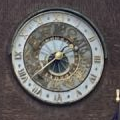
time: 7:37
